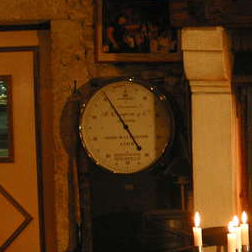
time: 4:54
